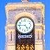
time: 4:45
